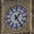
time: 1:24
